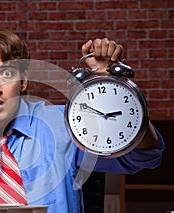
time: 2:50
